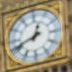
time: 12:41
